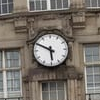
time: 5:49
